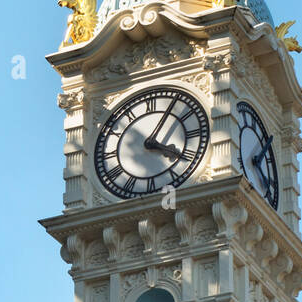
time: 4:05
